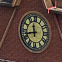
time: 11:42
